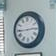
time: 2:44
